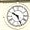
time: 10:26
